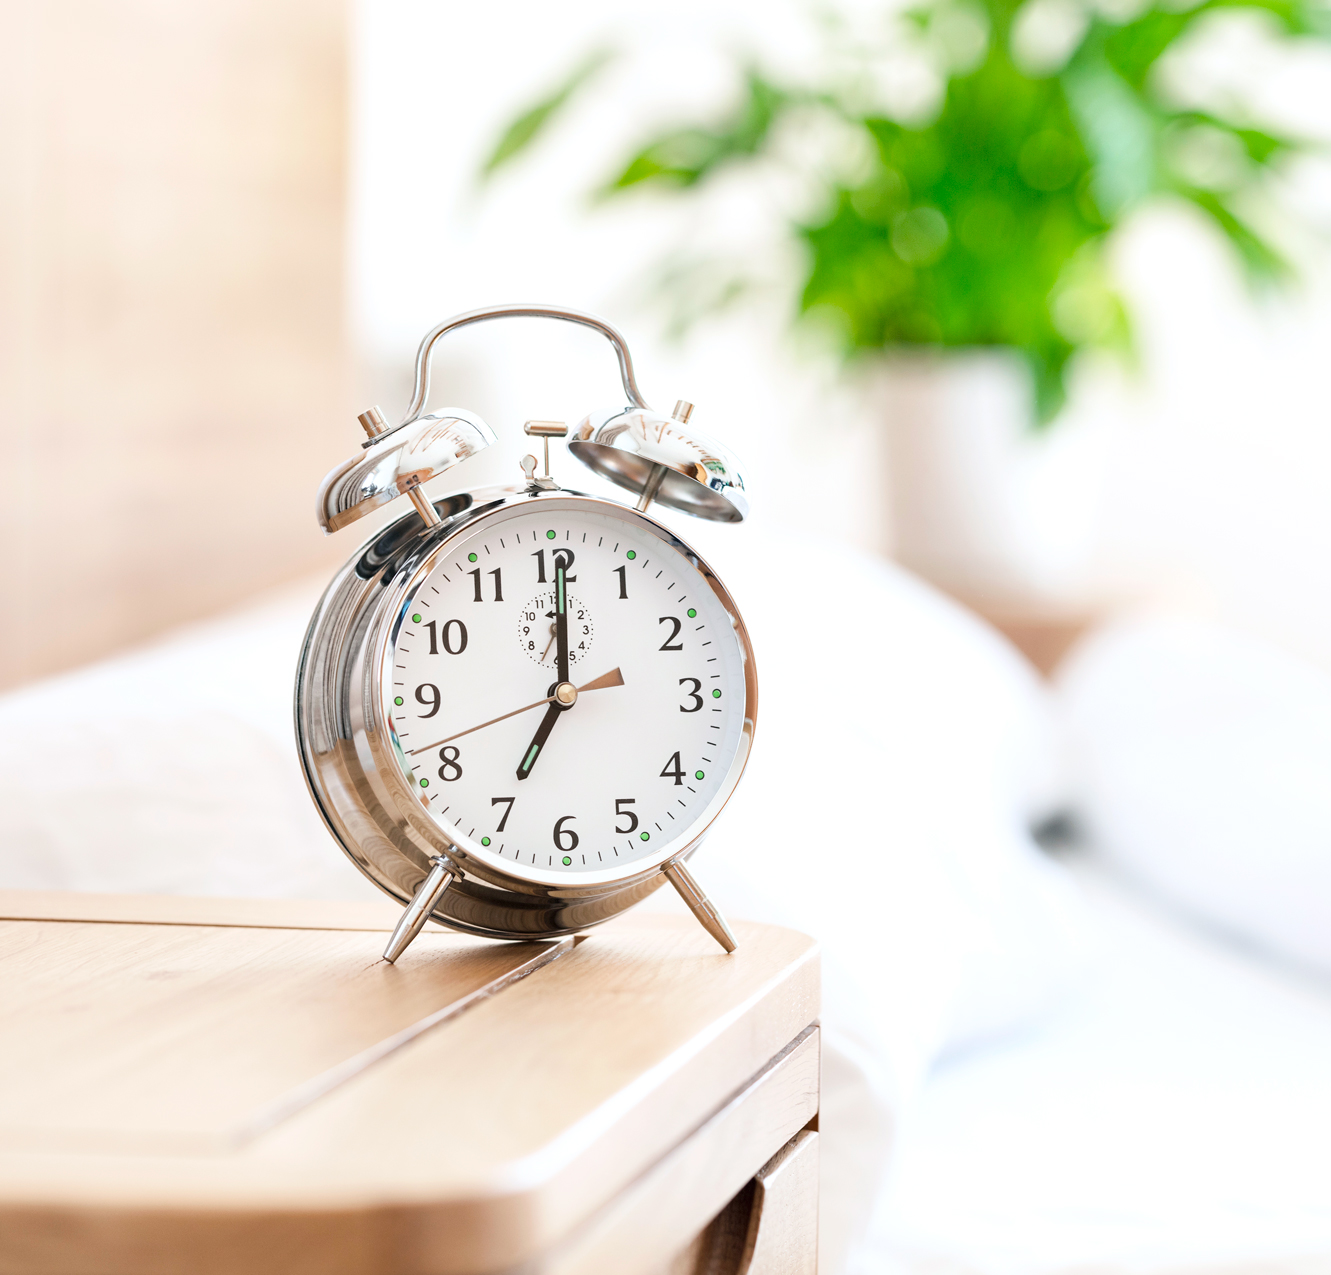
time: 7:00
